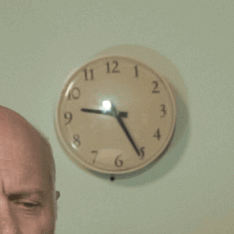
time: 9:25
